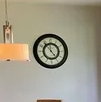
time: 4:53
